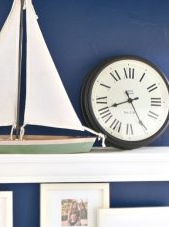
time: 8:25
